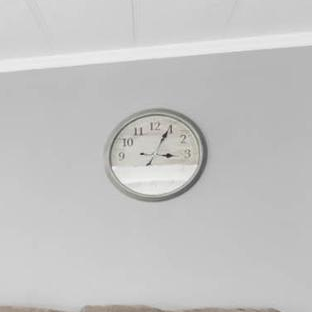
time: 3:04
